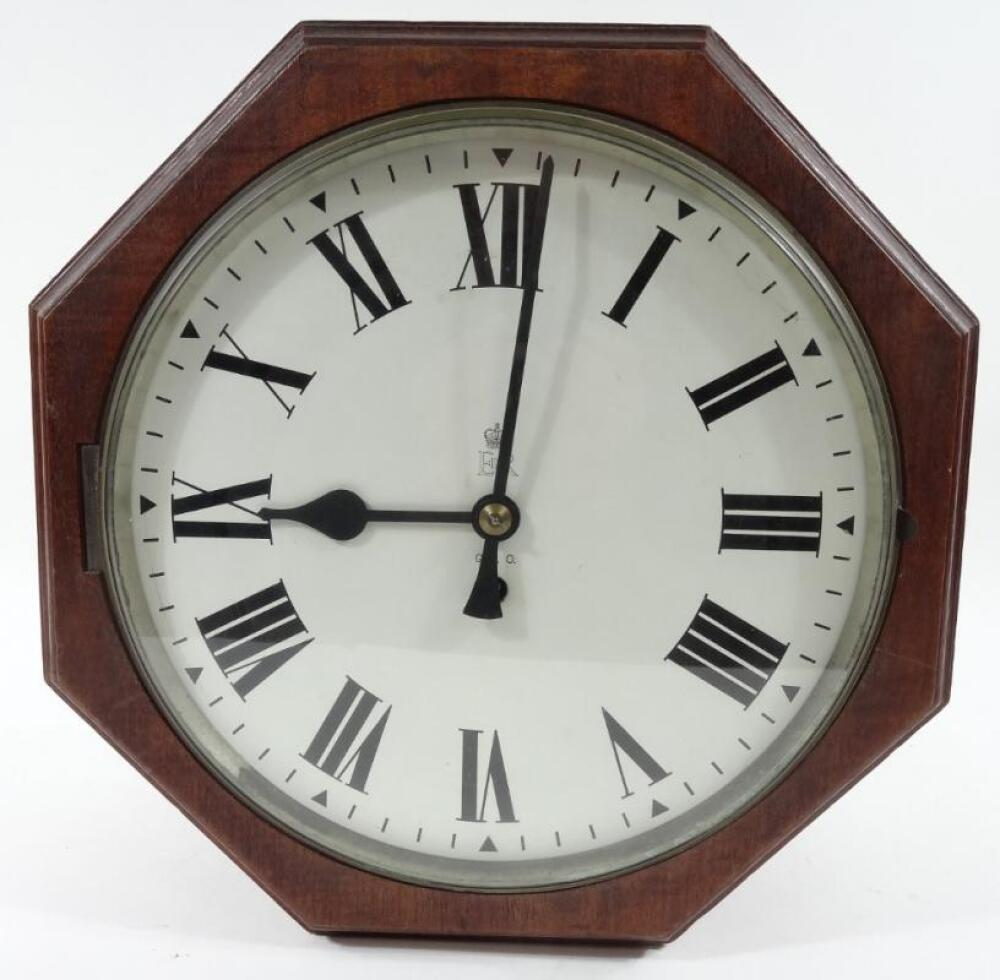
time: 9:01
